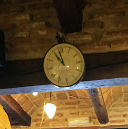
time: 10:58
